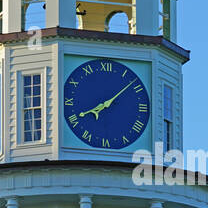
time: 8:07
